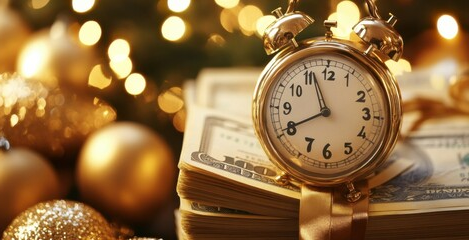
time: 7:56
